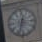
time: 12:33
